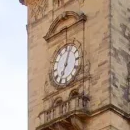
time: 7:03
